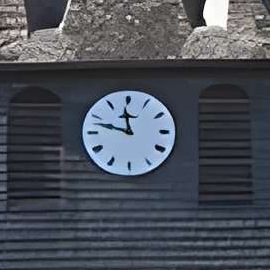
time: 11:47
